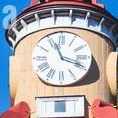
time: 11:18
